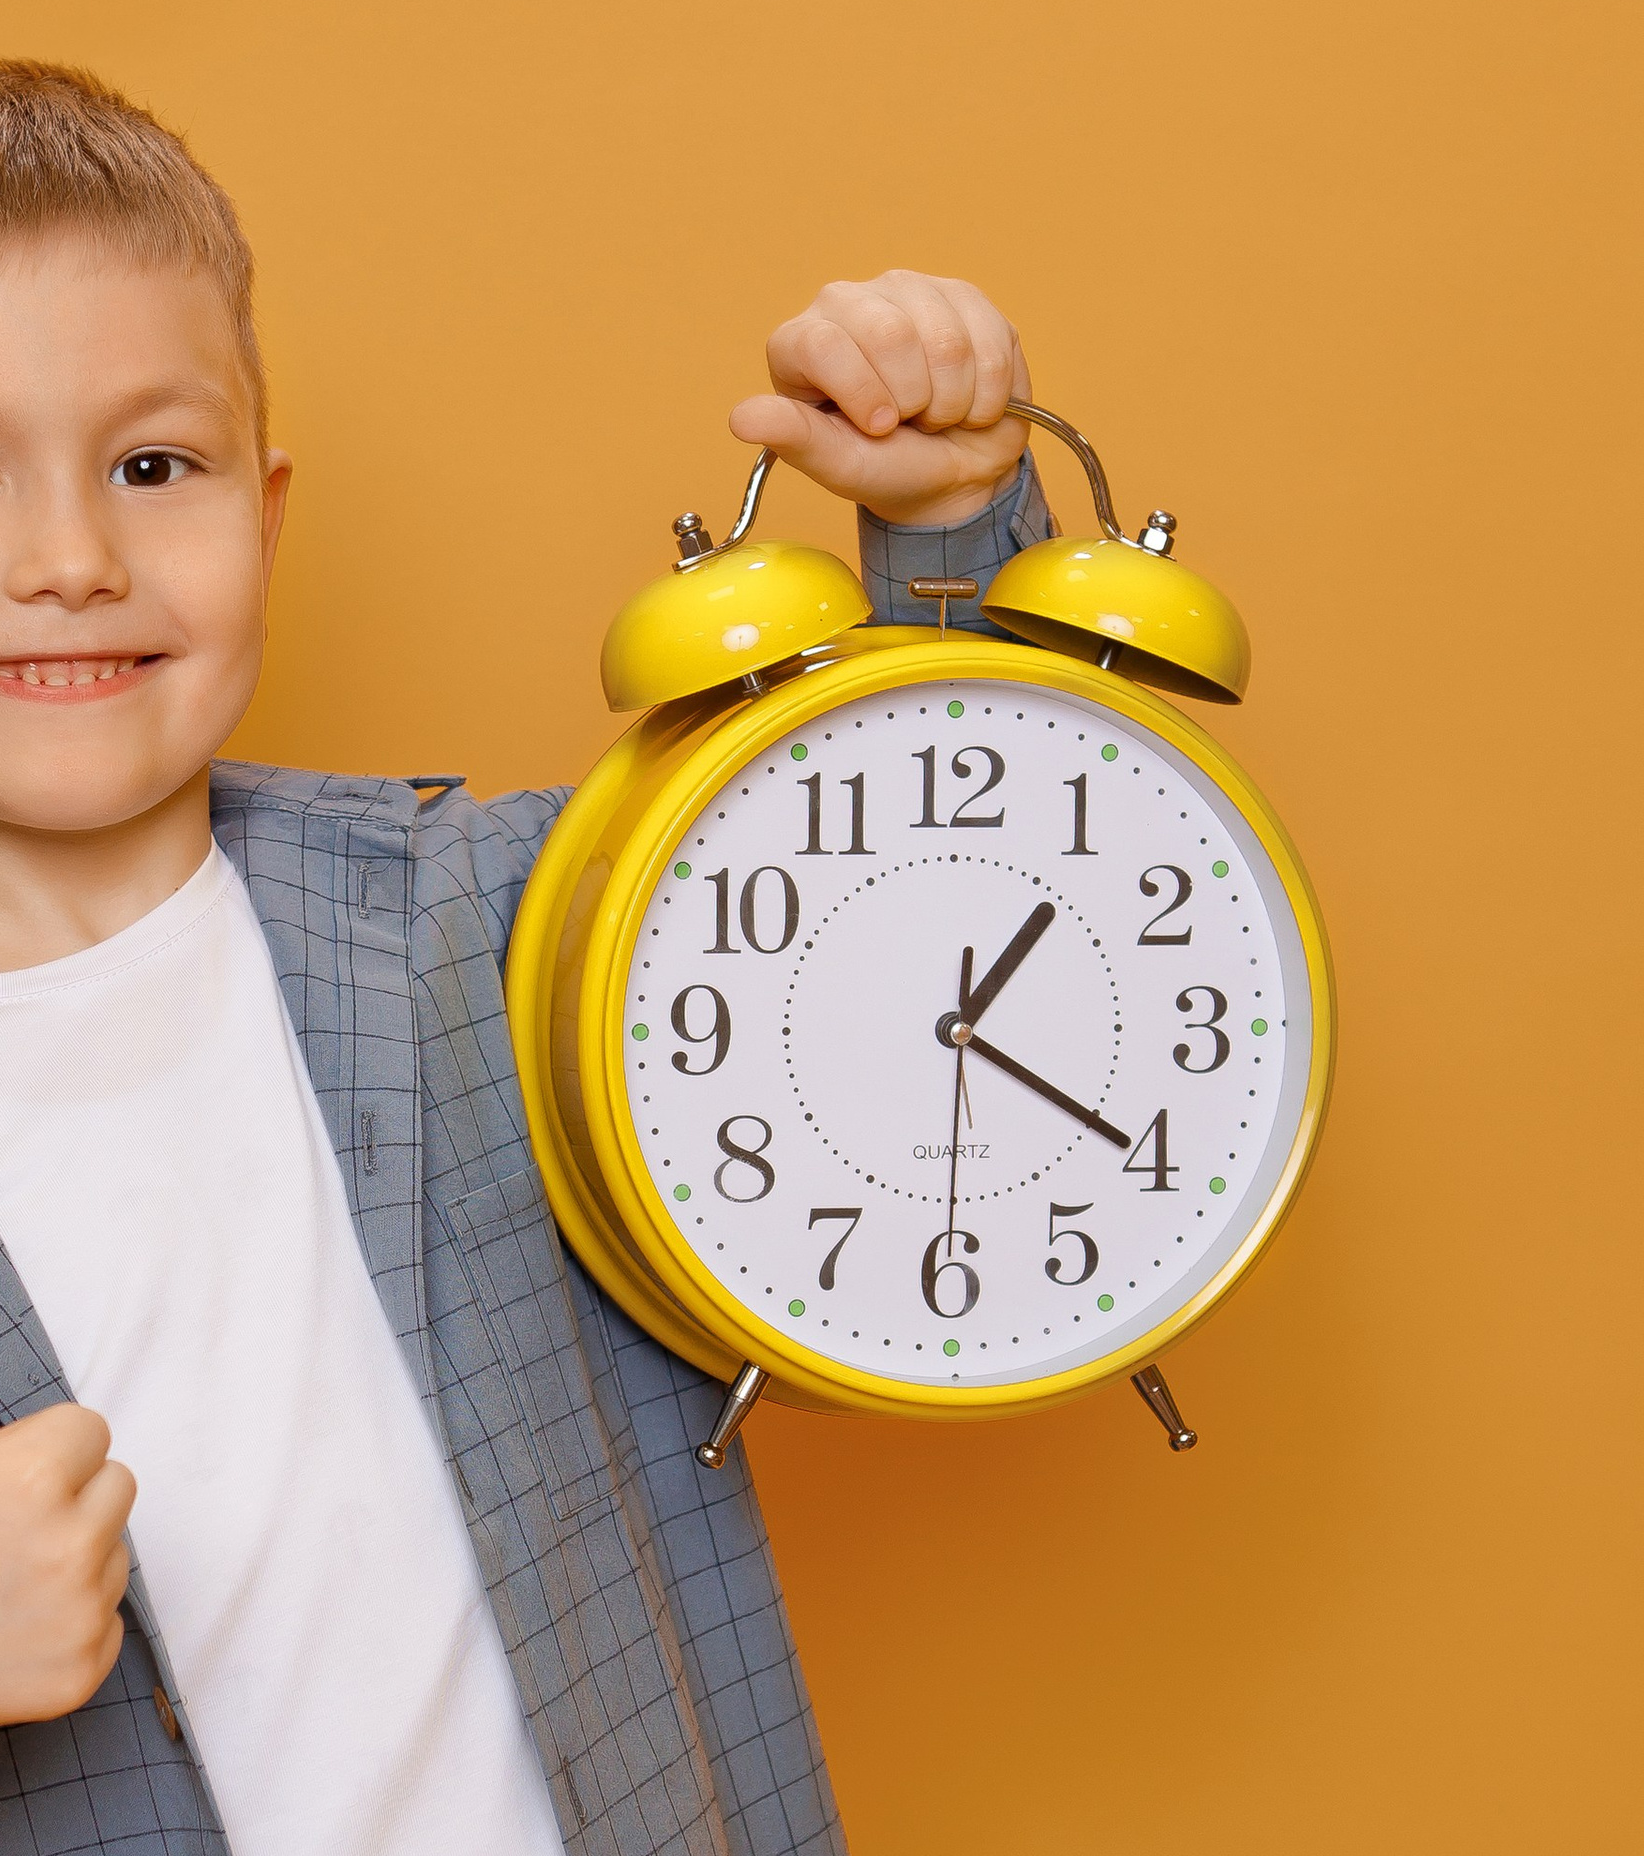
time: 1:20
